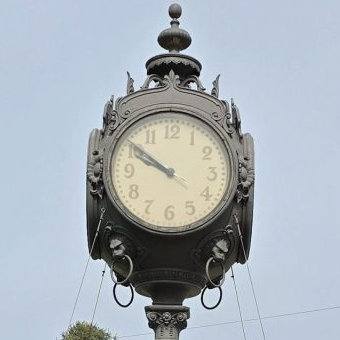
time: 9:50
